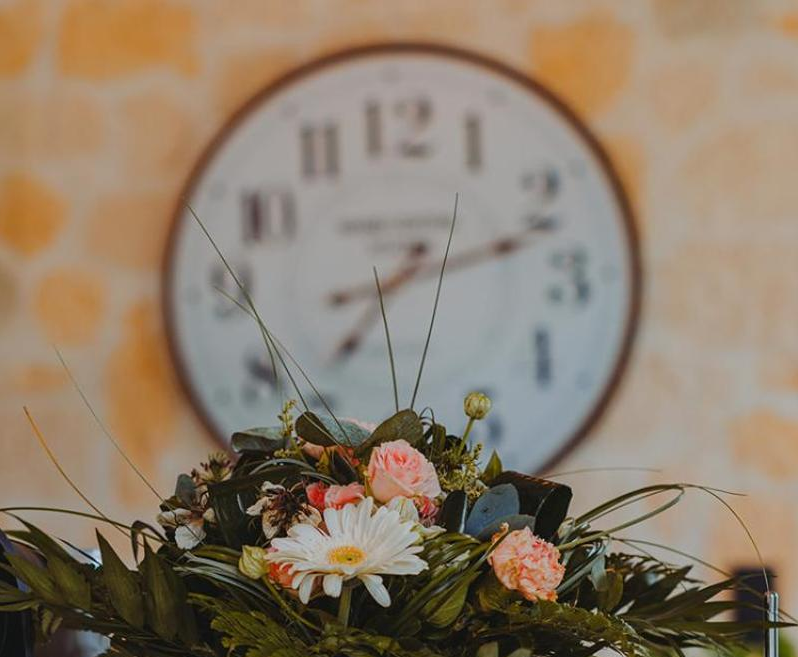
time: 7:12
